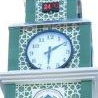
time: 6:09
